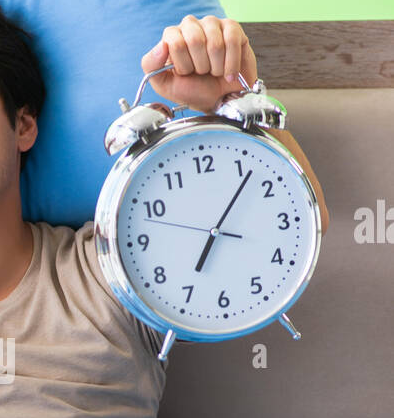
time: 7:06
